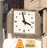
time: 3:58
